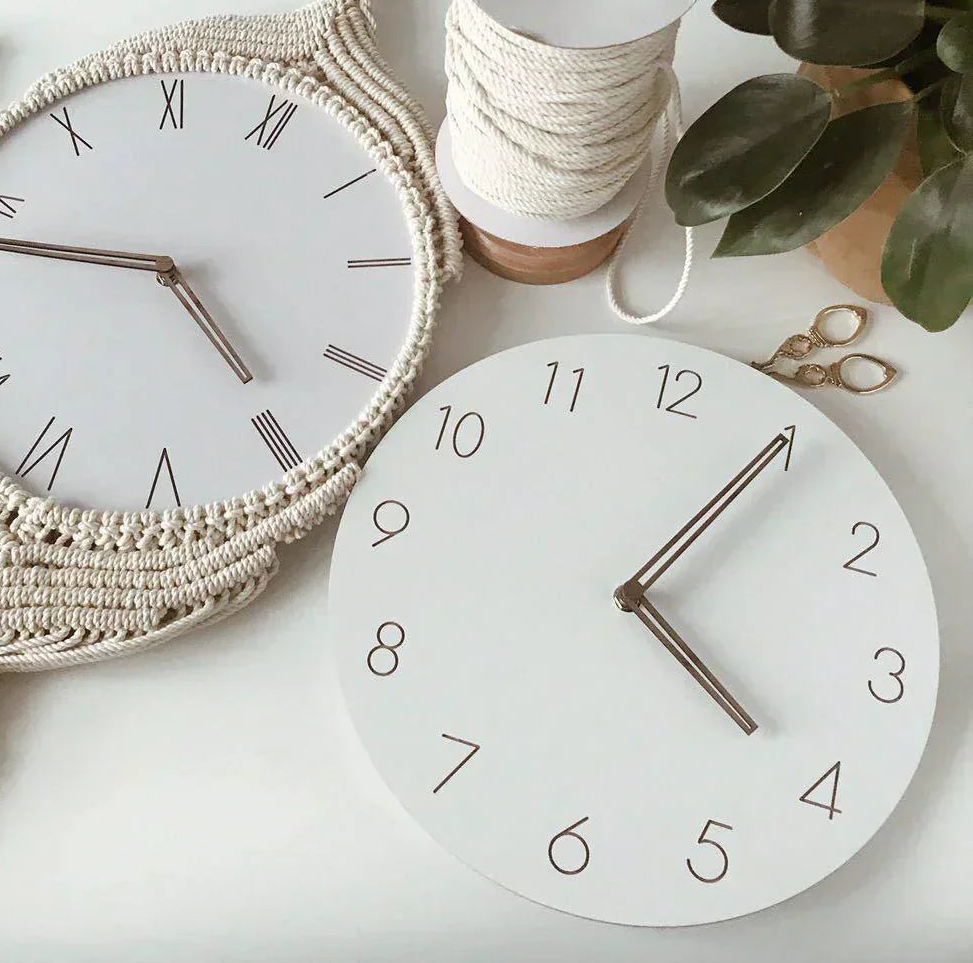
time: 4:05
